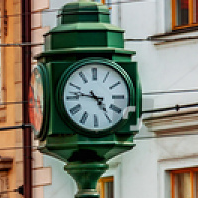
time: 4:46
